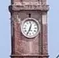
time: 12:34
